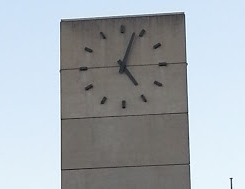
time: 5:03
